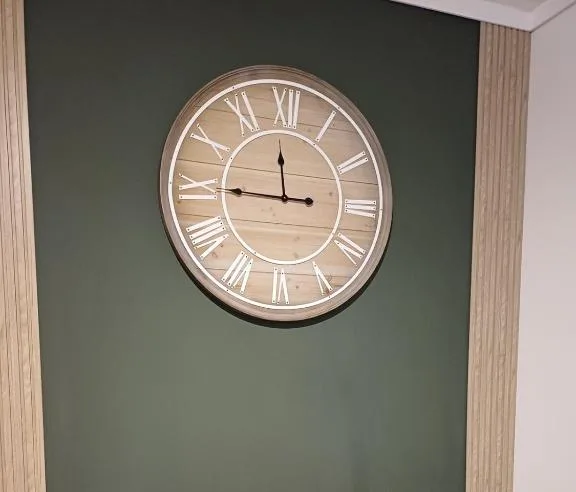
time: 11:45
